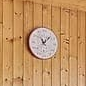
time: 11:07
